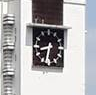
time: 8:32
